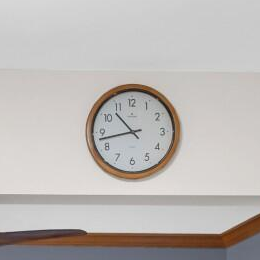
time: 10:42
